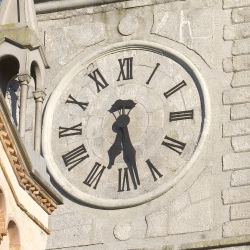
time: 6:28
